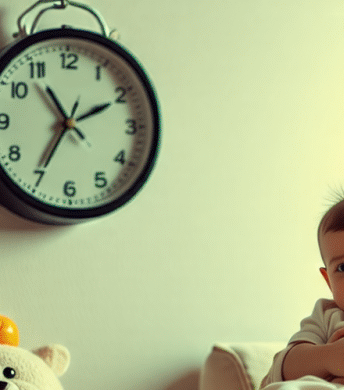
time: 10:35
